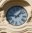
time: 9:07
